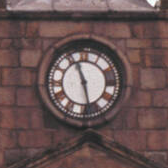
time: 11:28
